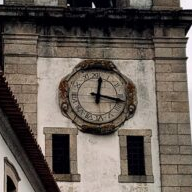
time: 12:17
